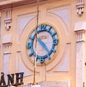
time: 4:22
